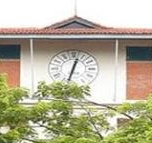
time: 12:32
